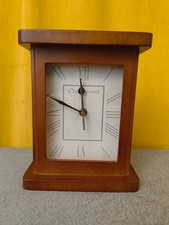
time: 11:48
